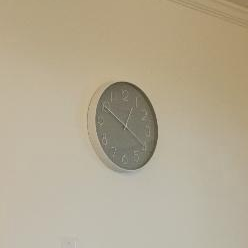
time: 12:50
